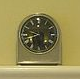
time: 9:42
